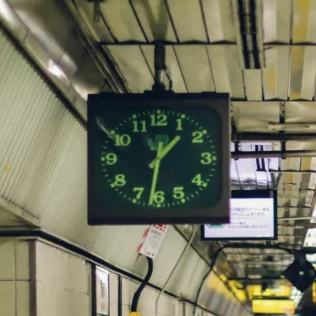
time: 1:32
